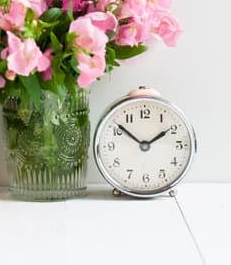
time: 1:51
